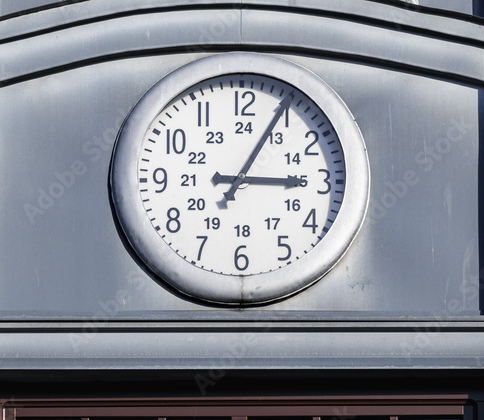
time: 3:04
